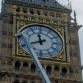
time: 11:41
